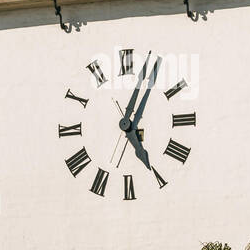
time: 5:04
